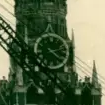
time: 4:12
